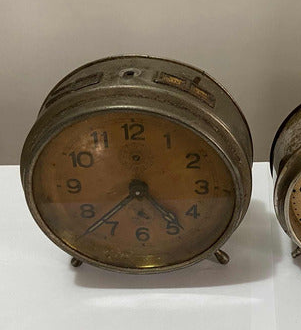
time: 4:37
